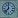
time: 7:00
